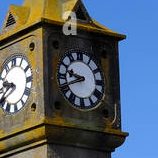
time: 9:41
